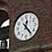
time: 12:23
